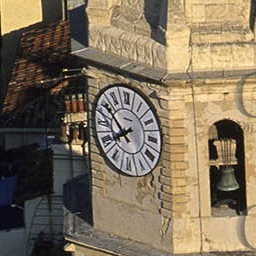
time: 7:50
